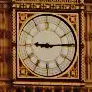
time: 9:14
